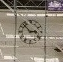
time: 2:52
